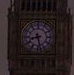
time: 8:28
